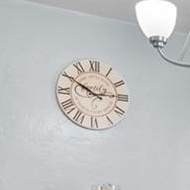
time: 2:50
